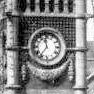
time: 11:36
